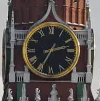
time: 2:34
